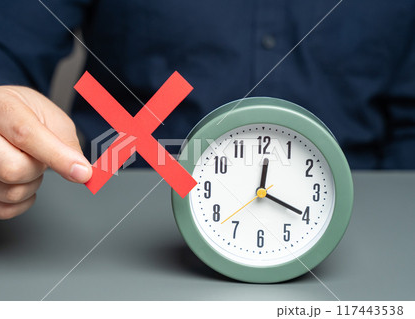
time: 12:19
